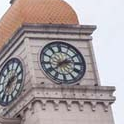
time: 2:39
